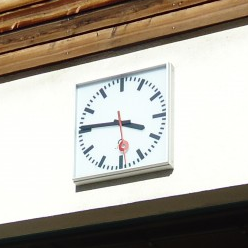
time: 3:46
